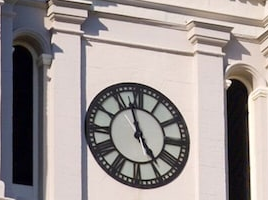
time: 4:57
